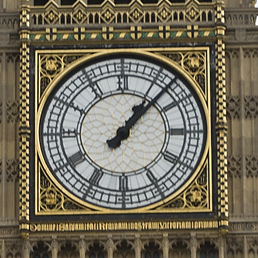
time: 1:07
